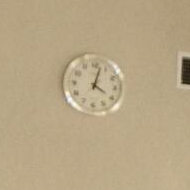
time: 4:02
